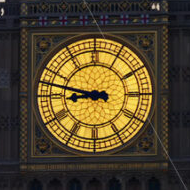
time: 8:47
